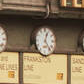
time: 12:23
